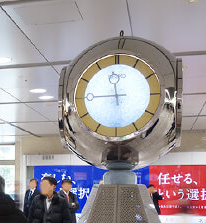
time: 11:44
